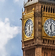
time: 12:28
